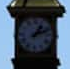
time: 1:11
